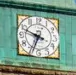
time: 6:48
